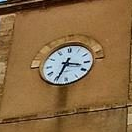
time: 3:34
